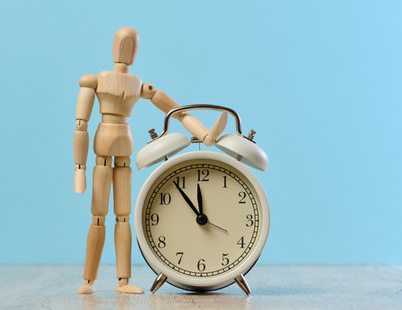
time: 11:53
